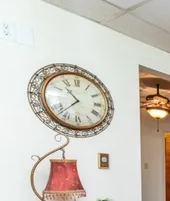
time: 10:37
